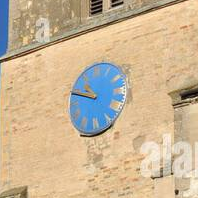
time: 10:48
